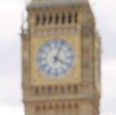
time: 4:03
